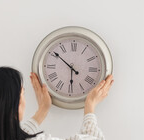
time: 5:51
